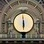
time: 5:59
